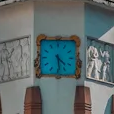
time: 4:29
